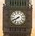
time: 7:40
